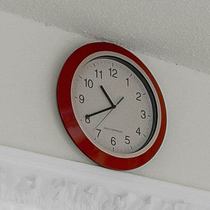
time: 10:40
